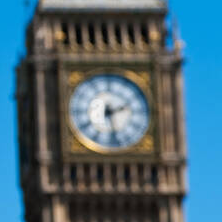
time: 2:28
